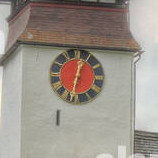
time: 12:32
